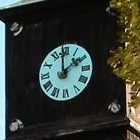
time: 1:59
